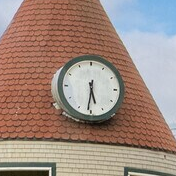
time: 5:31
